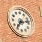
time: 7:13
